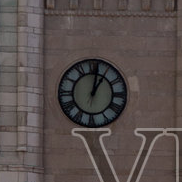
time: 1:01
